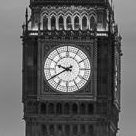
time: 9:40
